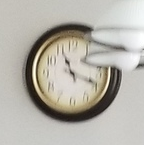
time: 11:18
